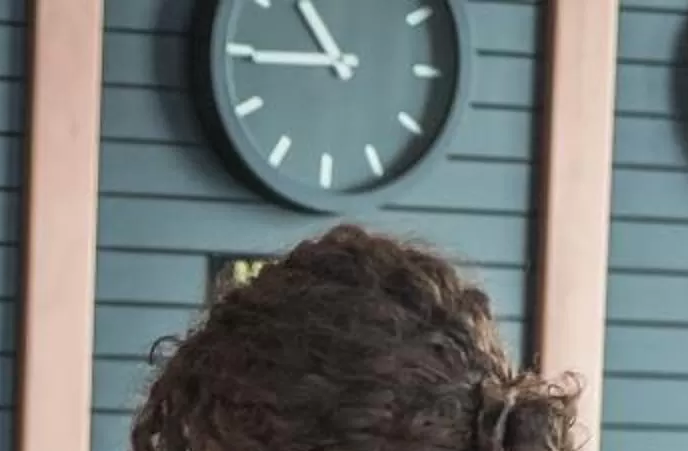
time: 10:44
